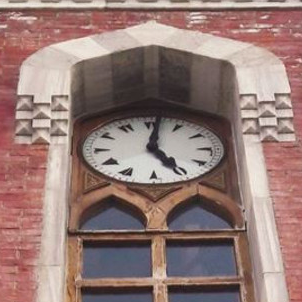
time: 5:01
